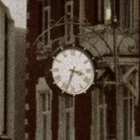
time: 3:33
